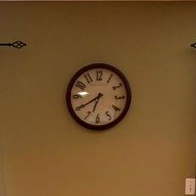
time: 6:39
